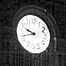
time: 9:42
